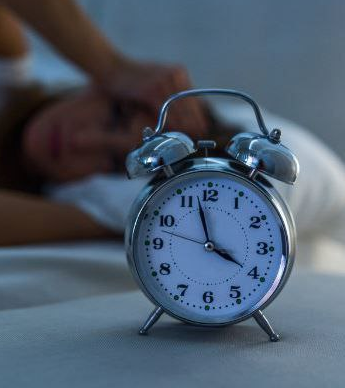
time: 3:57
